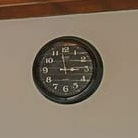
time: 2:58
